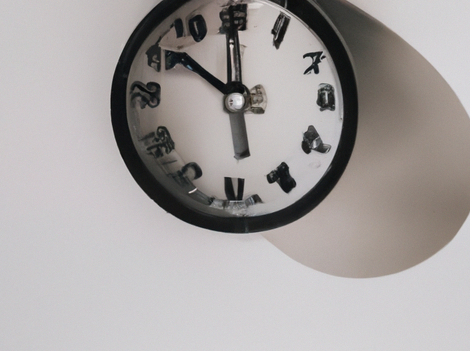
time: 11:51
